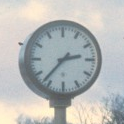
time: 2:36
